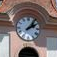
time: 2:06
